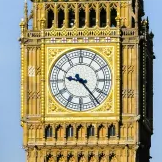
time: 9:23
